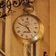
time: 4:49
